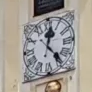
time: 12:23
